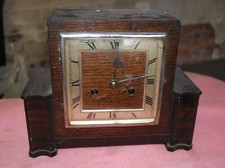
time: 12:13
